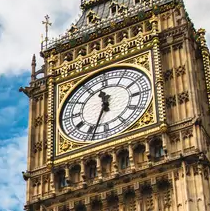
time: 11:33
